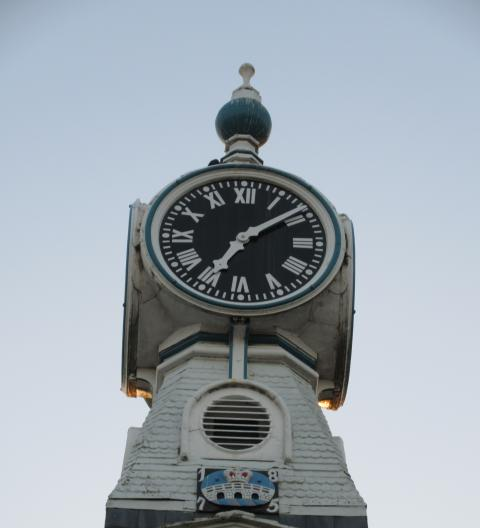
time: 7:08
